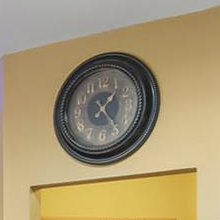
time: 1:23
